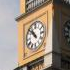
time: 10:52
